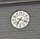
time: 7:18
